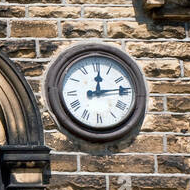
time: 12:13
